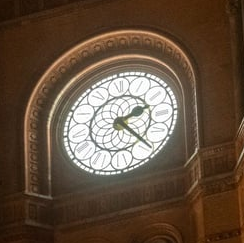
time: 2:21
